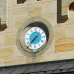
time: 1:37
